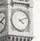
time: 4:10
